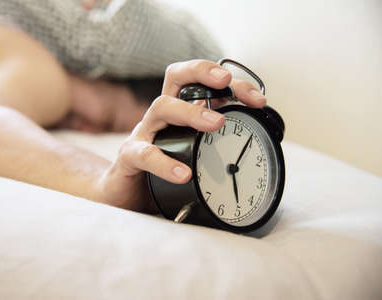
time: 5:04
